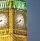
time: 7:40
